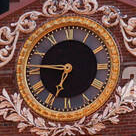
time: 6:46
